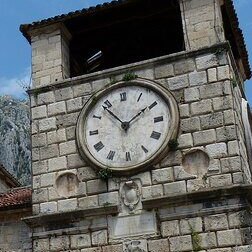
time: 1:53
